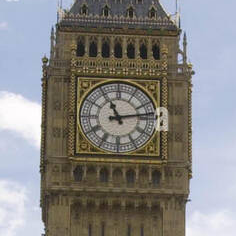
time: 11:13
